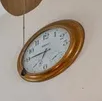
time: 6:45
